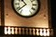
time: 10:38
